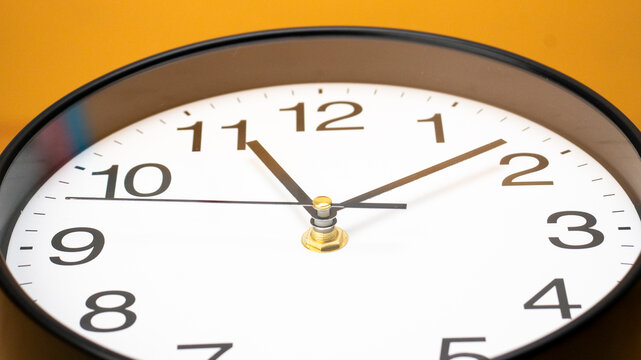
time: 11:08
